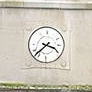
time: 3:37
